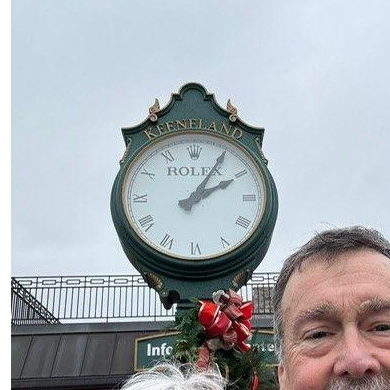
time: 2:05
